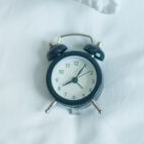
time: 8:06
